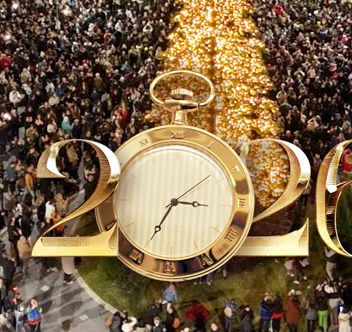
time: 3:34
